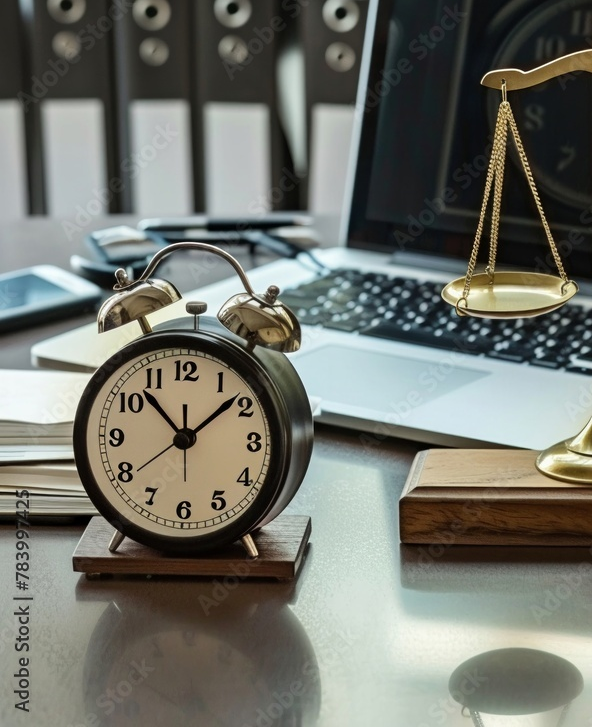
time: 1:52
